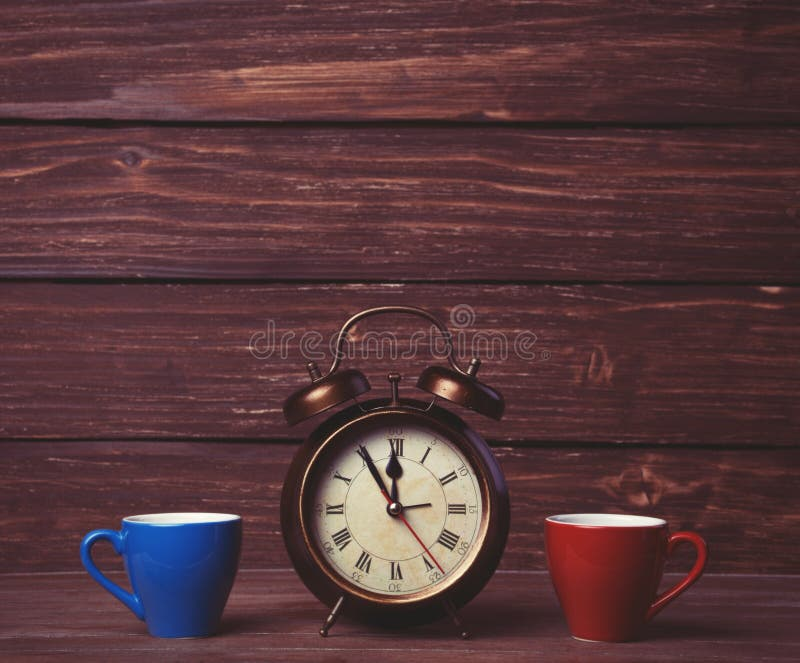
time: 11:54
